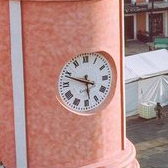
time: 5:48
